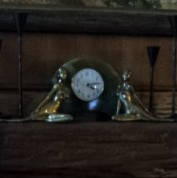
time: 4:14
